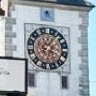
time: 1:18
